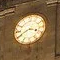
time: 3:40
